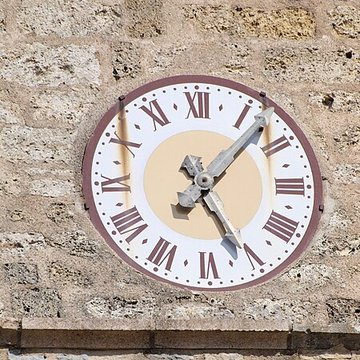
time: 5:07
